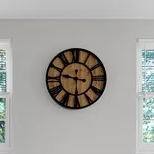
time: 9:30
